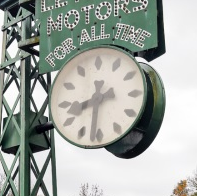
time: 8:31
